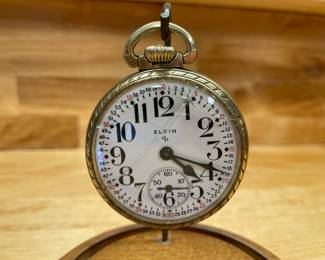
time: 4:18
